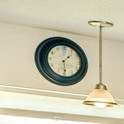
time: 1:29
